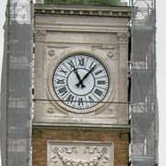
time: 11:06
